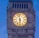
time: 5:58
